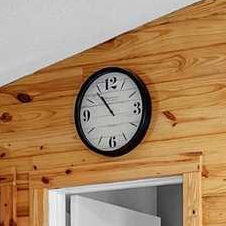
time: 10:53
